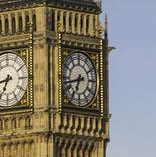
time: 6:42
